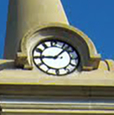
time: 9:07
